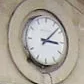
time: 3:08
